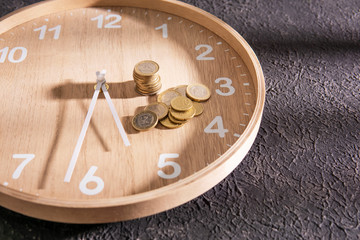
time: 5:31
